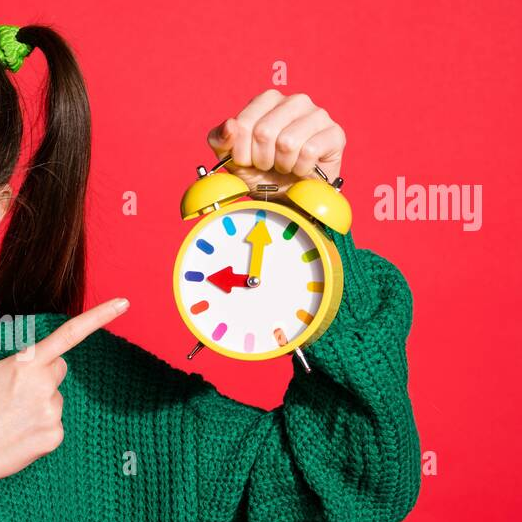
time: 9:01
